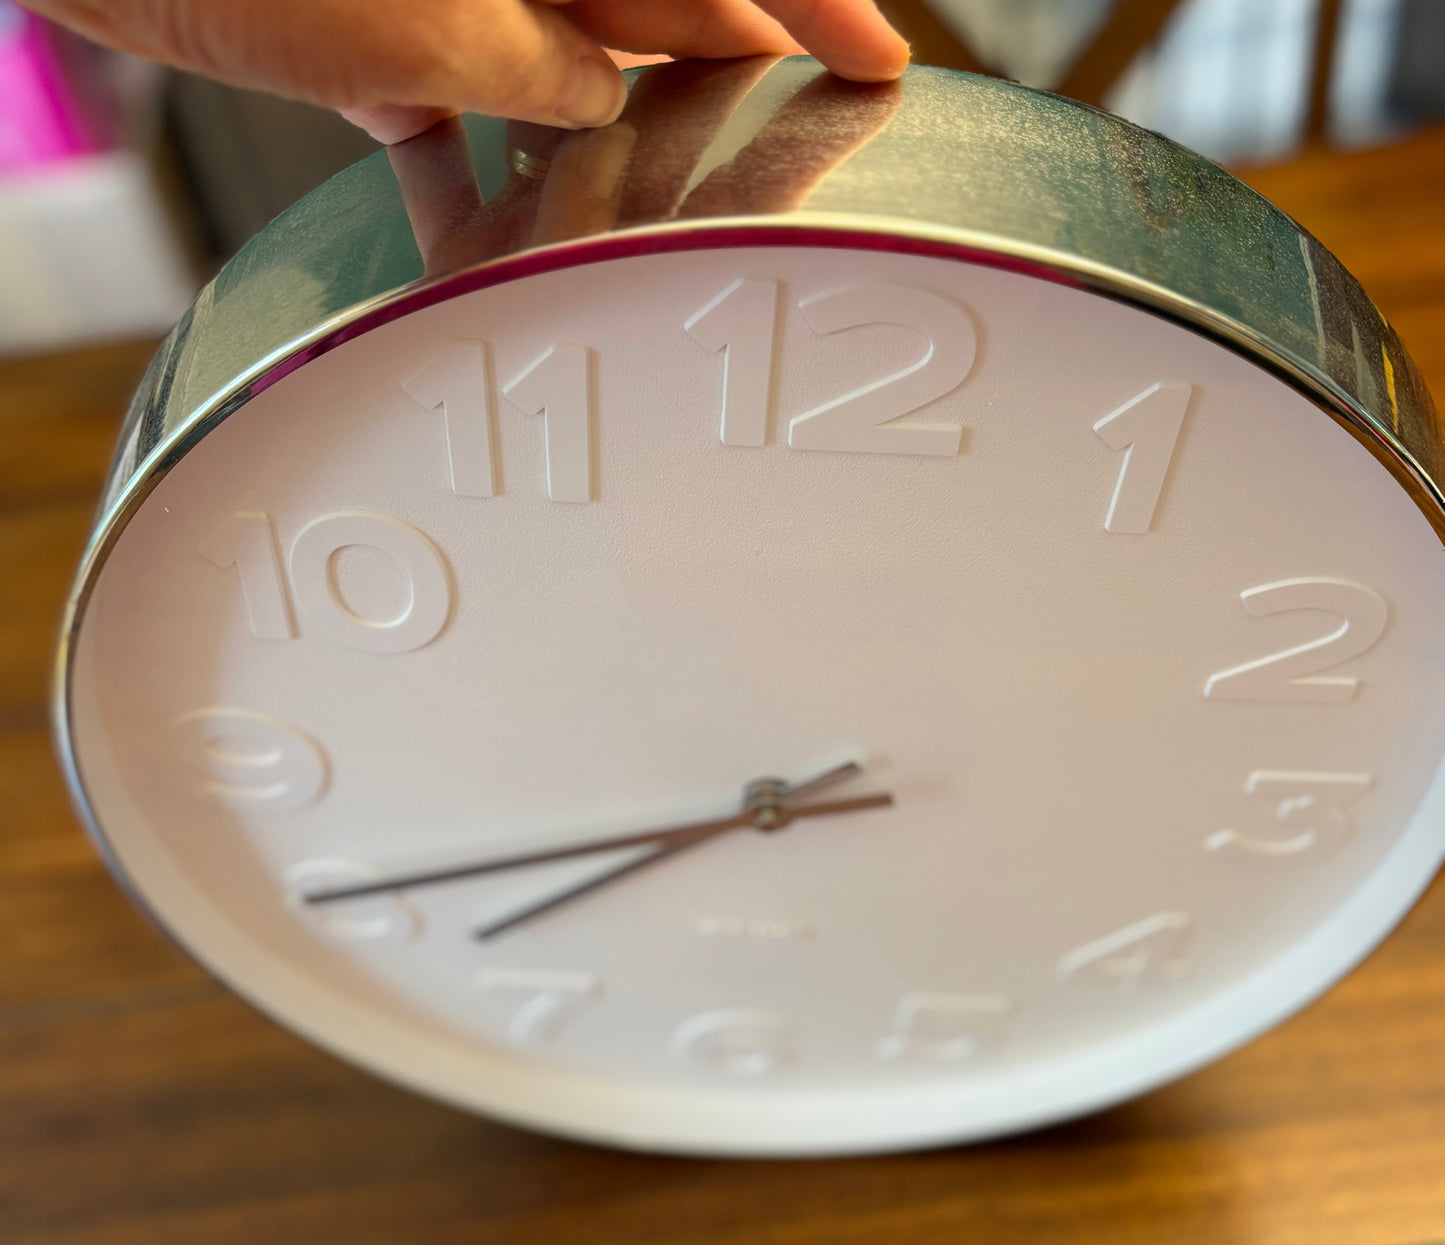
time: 7:41
